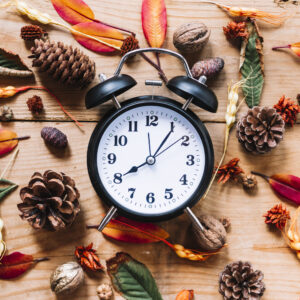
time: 8:05
